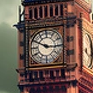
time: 2:49
